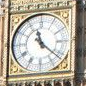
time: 11:21
